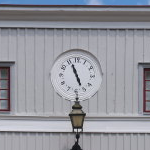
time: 4:56
